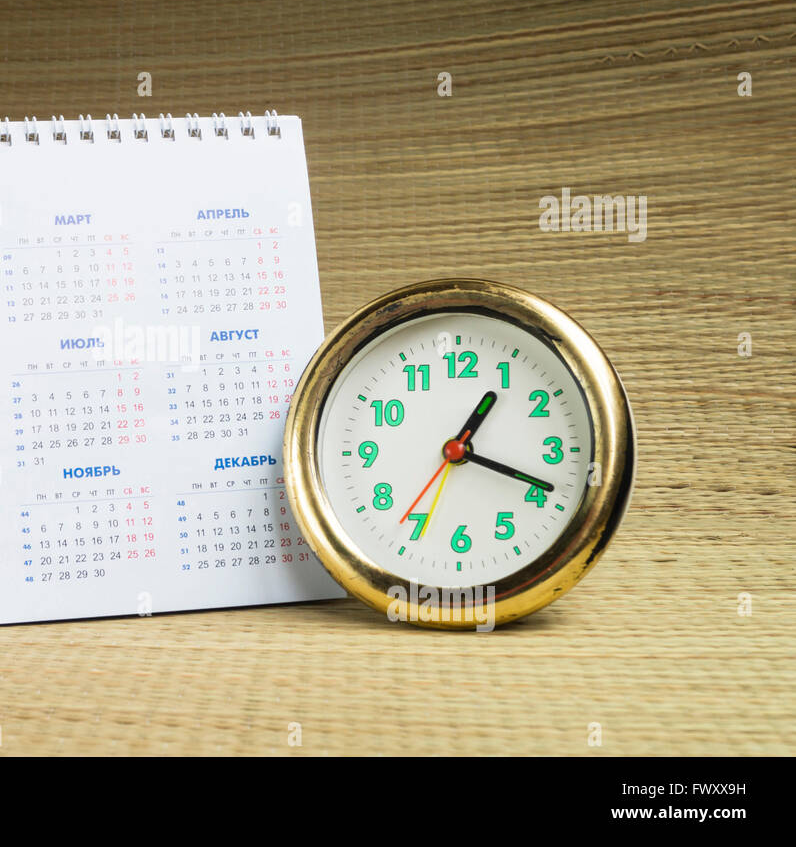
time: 1:18
